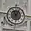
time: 11:04
